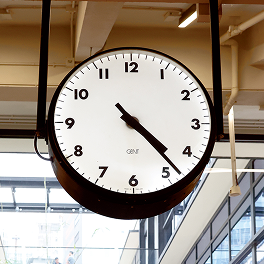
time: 4:22
